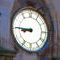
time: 8:45
